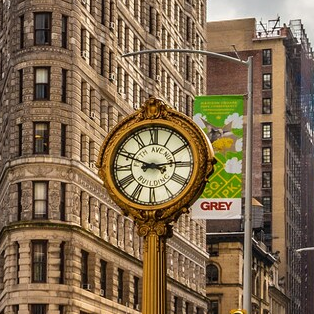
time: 2:48
